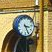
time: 3:26
